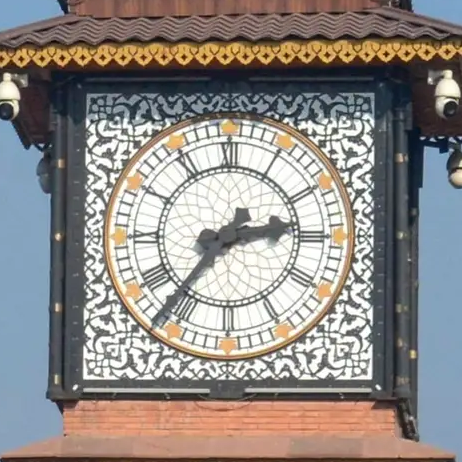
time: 2:36
